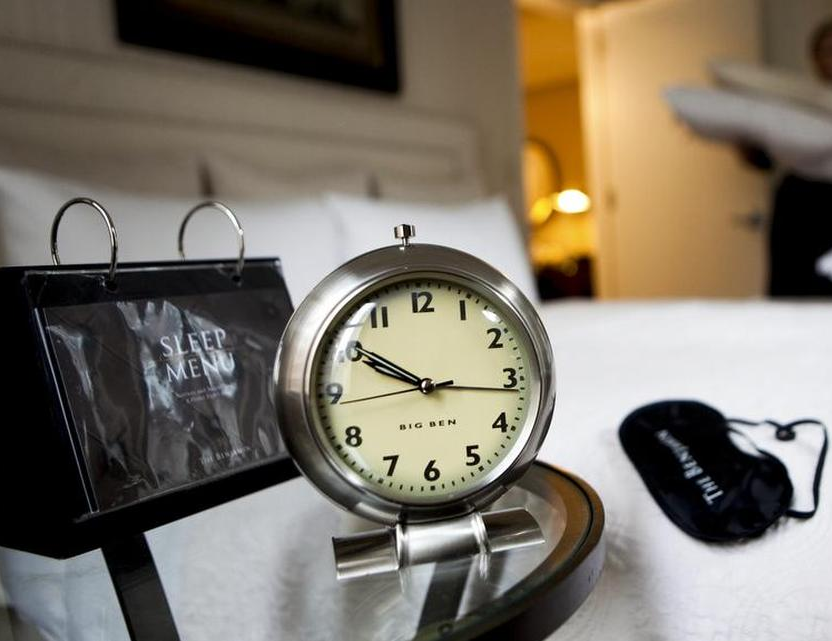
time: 9:50
